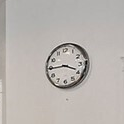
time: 3:44
